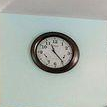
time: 11:23
